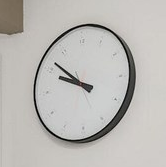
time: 9:51
